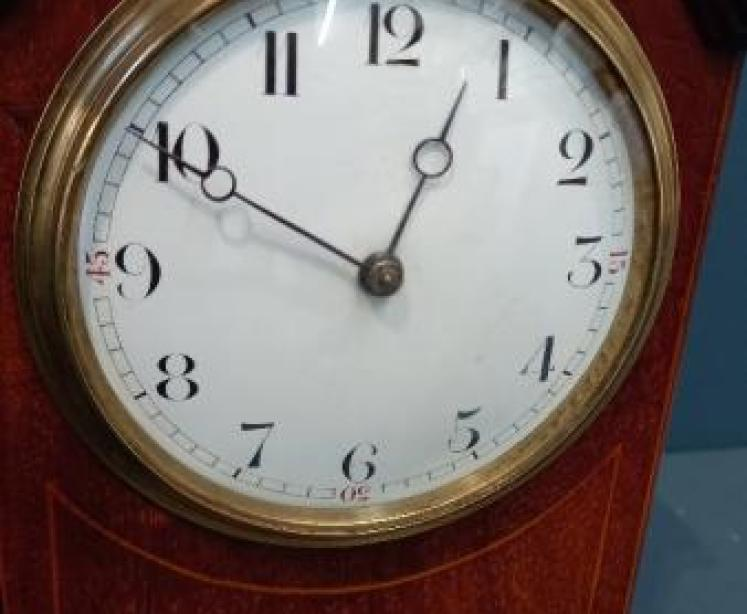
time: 12:49
